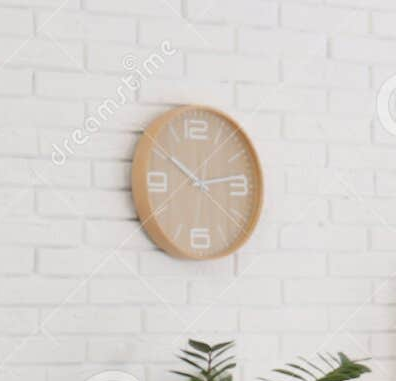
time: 10:13
